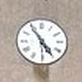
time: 4:54
